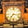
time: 7:17
